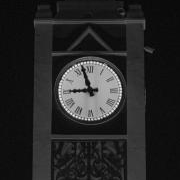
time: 8:57
